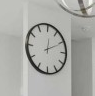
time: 12:10
